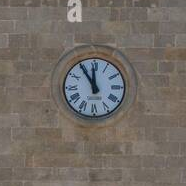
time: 11:54
